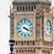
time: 4:18
